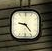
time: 9:23
